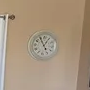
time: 12:55
